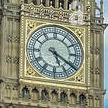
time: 5:20
